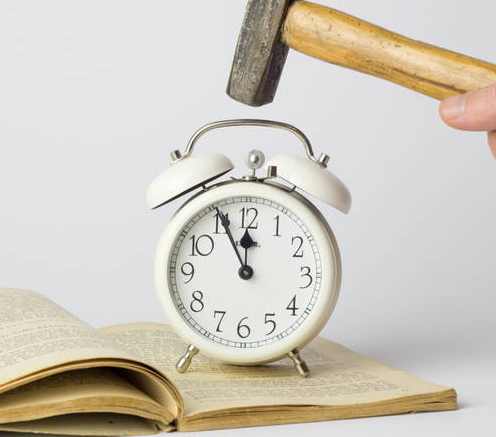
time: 11:55
